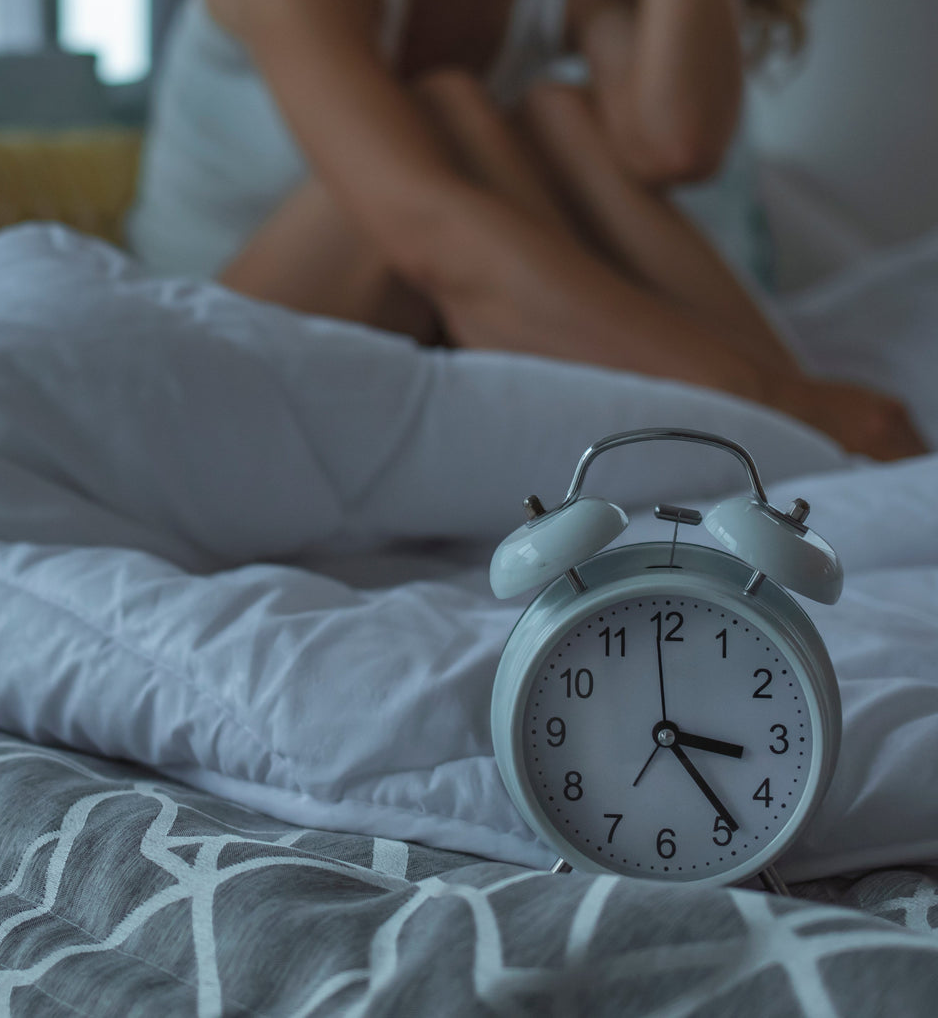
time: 3:23
